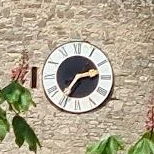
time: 2:35
